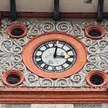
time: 3:01
